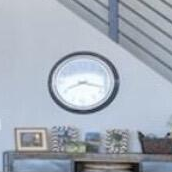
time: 8:17
